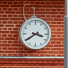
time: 3:39
